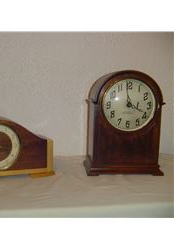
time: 3:58
